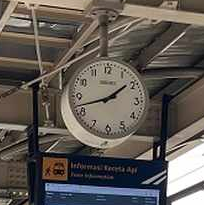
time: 1:42
